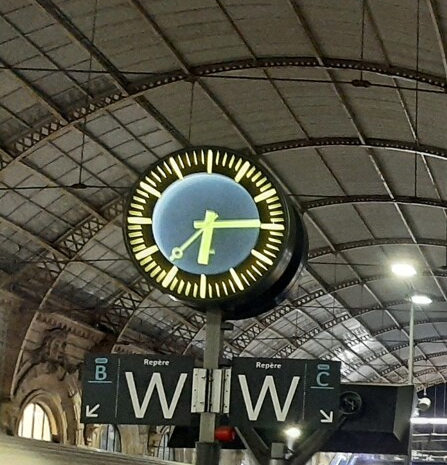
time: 6:14
